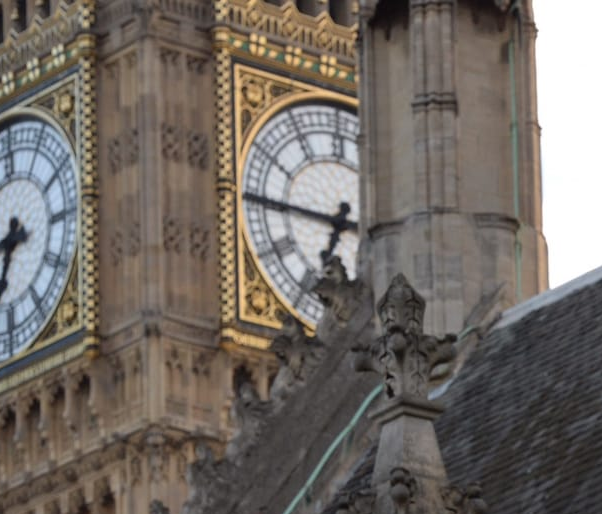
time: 6:45
